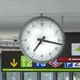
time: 7:16
